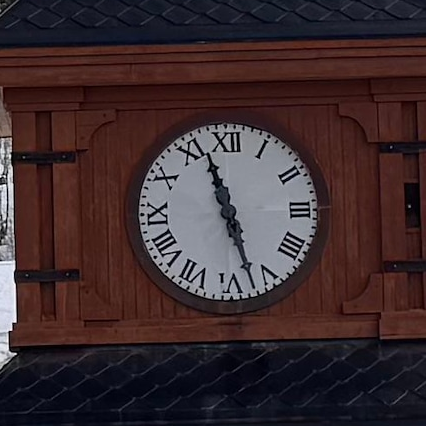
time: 11:27
